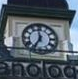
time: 11:35
